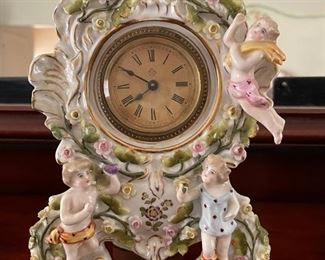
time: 7:49
